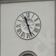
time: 11:26
